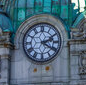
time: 2:20
